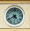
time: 4:39
